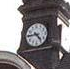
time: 4:44
